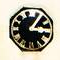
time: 3:05
